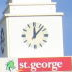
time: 12:07
